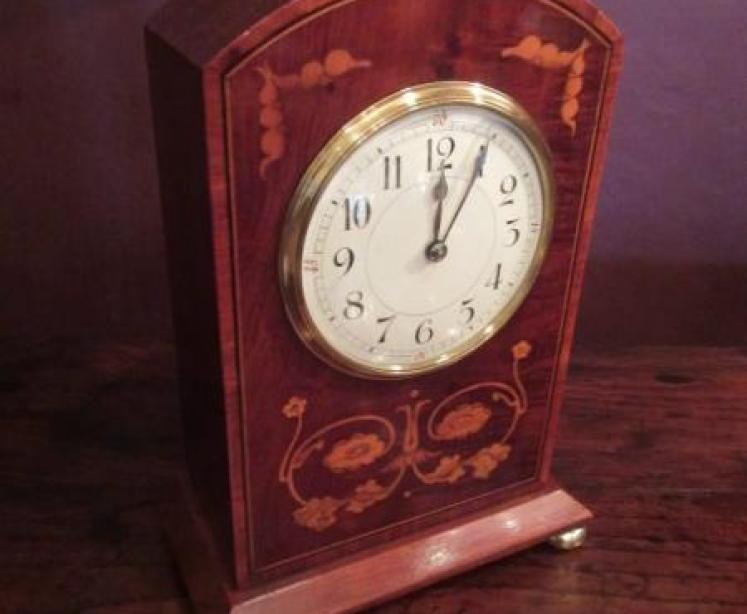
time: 12:04
